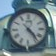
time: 4:23
